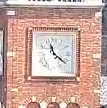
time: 11:21
